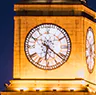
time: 6:21
